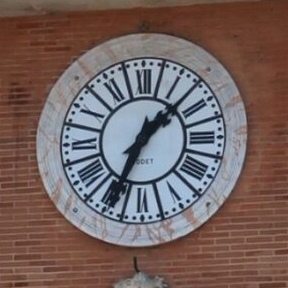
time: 1:34
